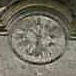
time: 10:32
